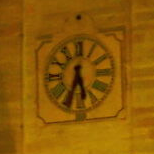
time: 5:33
